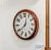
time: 12:38
